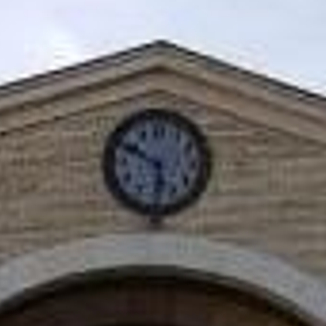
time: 5:49
